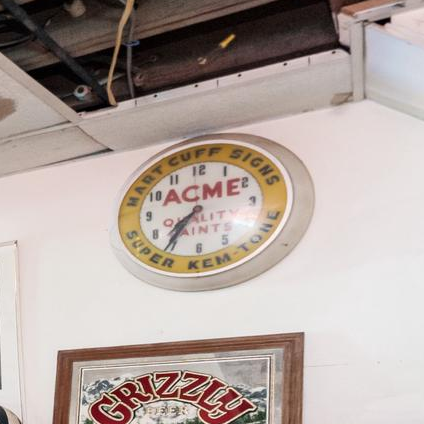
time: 7:35
